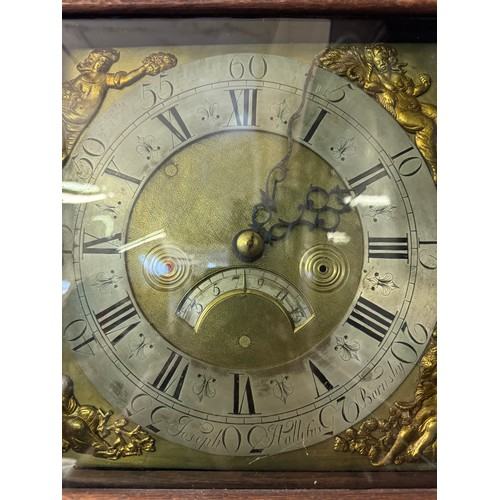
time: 2:04
